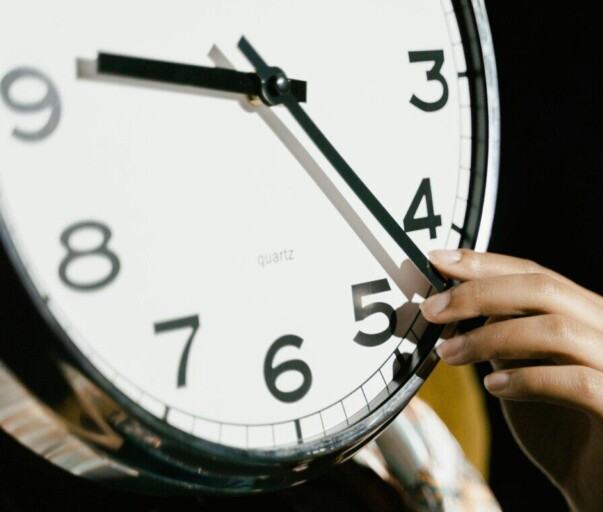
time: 9:22
